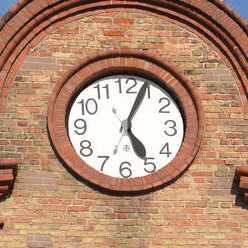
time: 5:04
